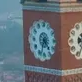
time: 4:33
